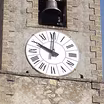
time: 10:00
